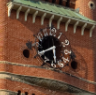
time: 5:40
